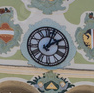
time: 2:03
